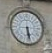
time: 5:28
